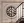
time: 5:59
